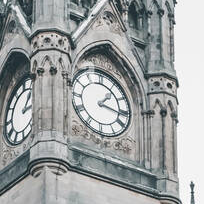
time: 1:16
